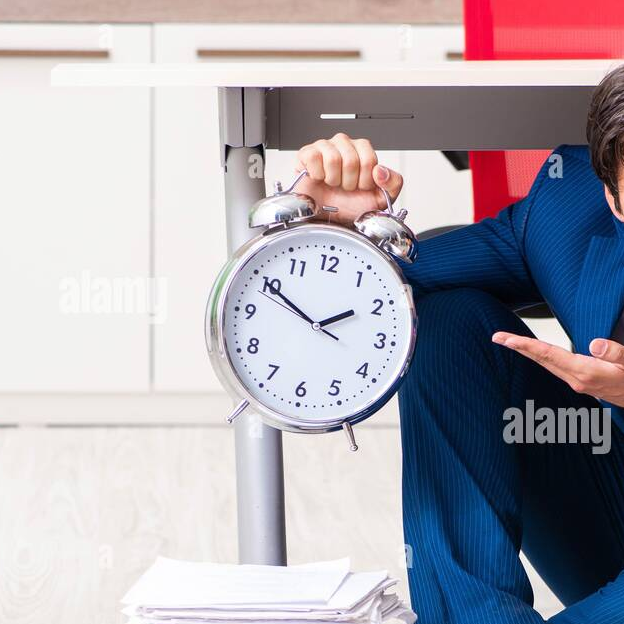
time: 1:50
